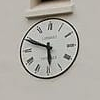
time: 5:48
